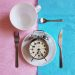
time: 6:24
